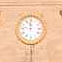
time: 11:46
